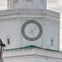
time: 5:07
